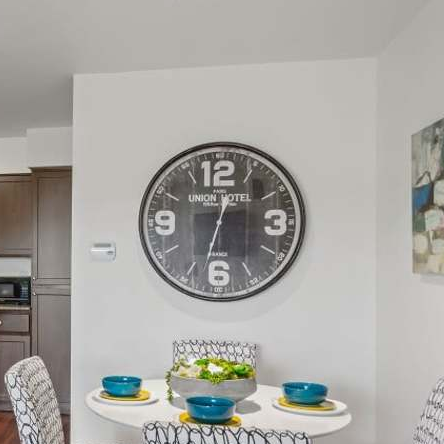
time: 12:32
